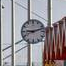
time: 9:12
